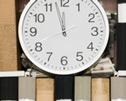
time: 11:57
